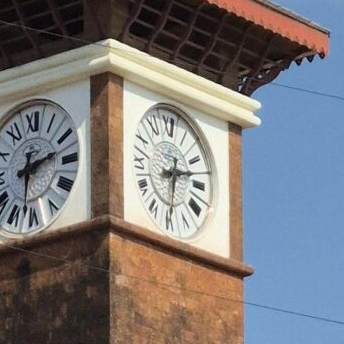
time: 2:29
